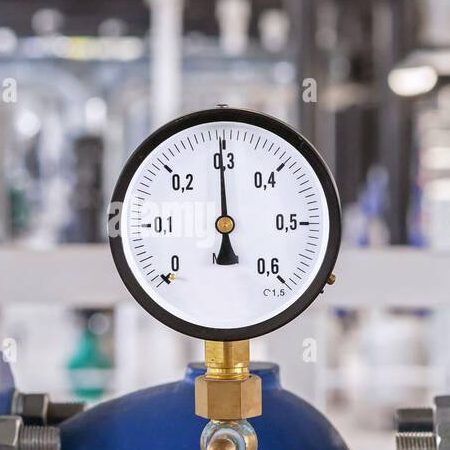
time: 5:59
